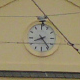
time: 8:23
